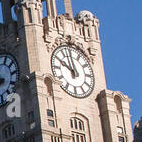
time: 9:57
